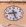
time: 8:27
